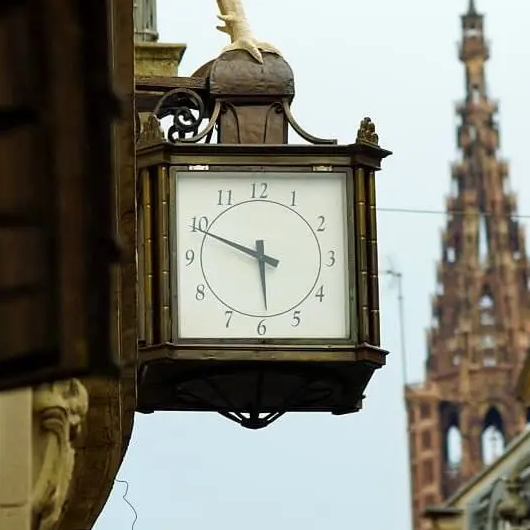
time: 5:48
